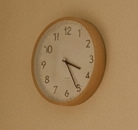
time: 3:25
